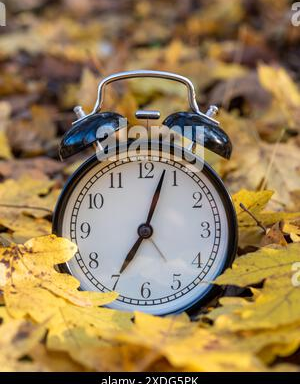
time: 7:03
